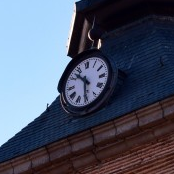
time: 10:30
